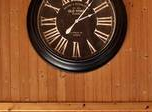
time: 2:06
